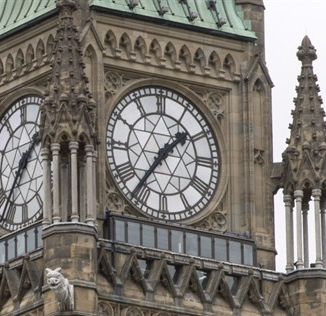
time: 1:36
